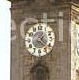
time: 1:21
